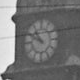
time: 10:50
